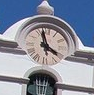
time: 3:58
